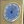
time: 12:07
